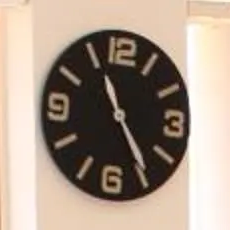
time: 11:24
